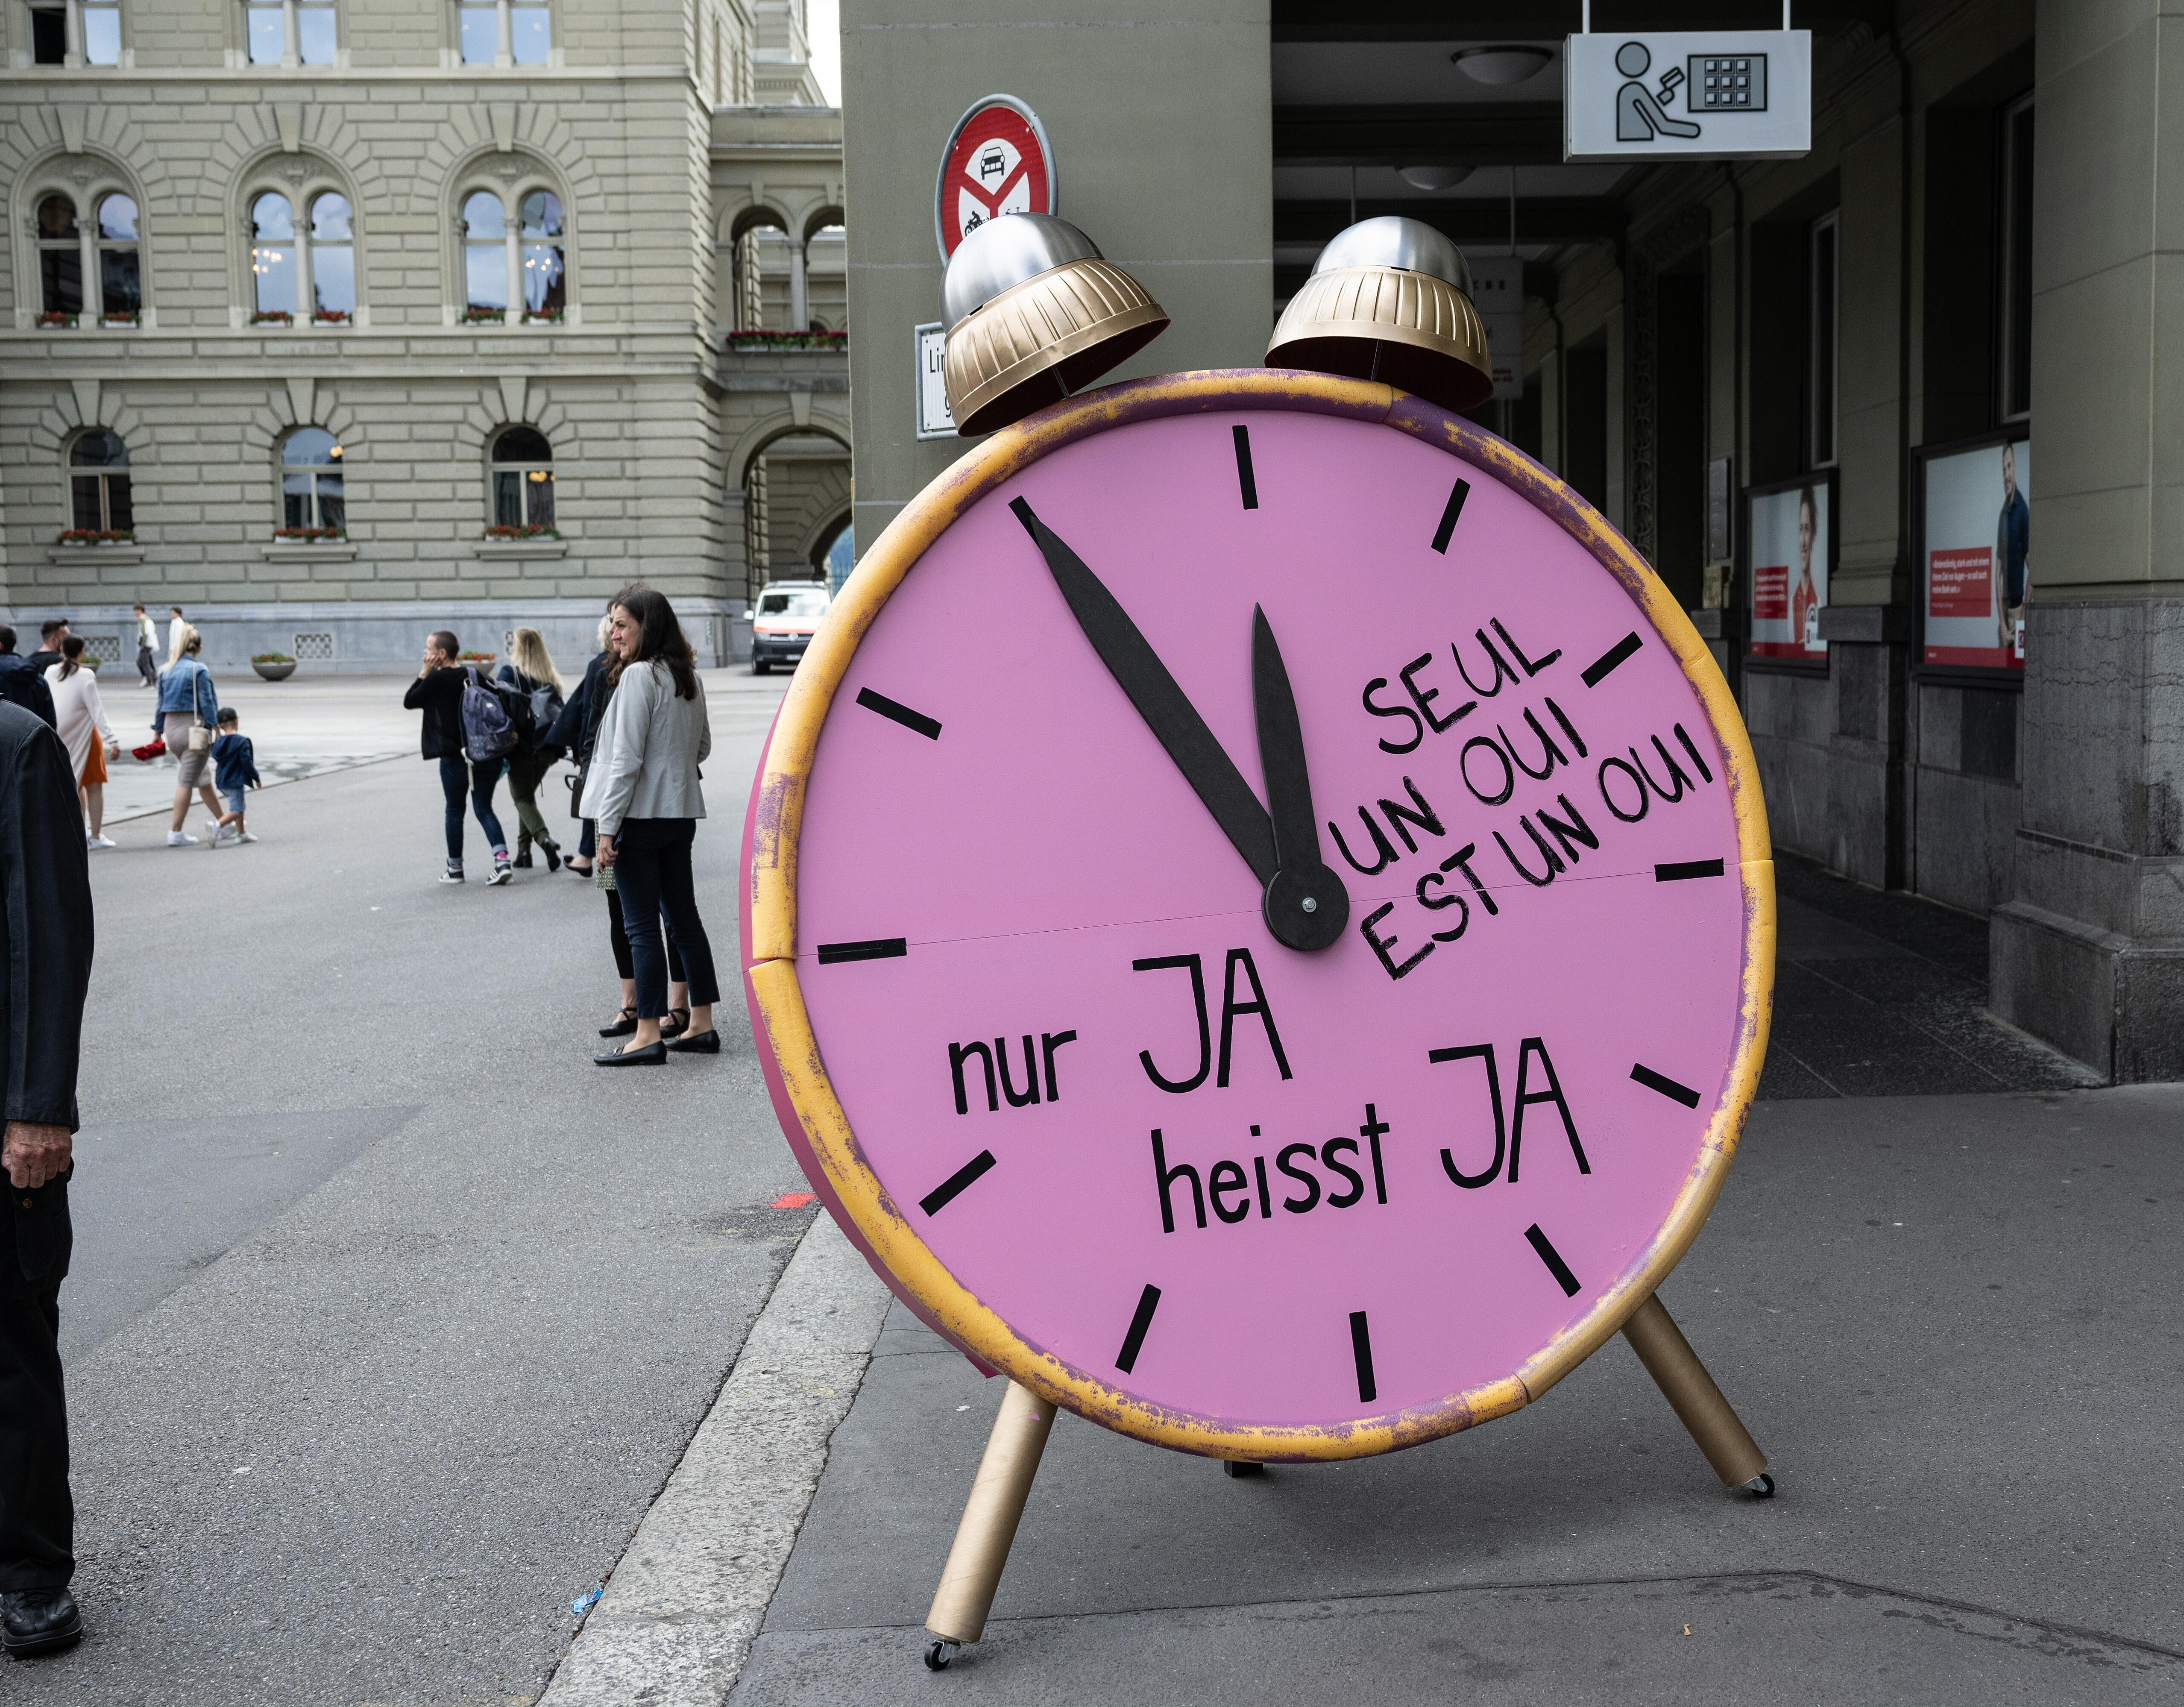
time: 11:54
